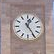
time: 12:24
